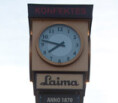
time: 7:47
